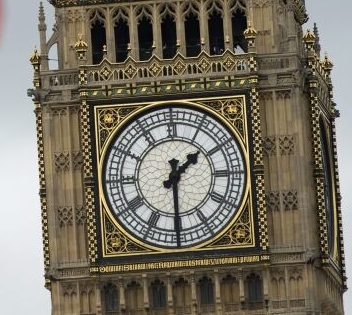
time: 1:30
